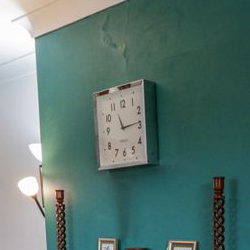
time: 11:13
